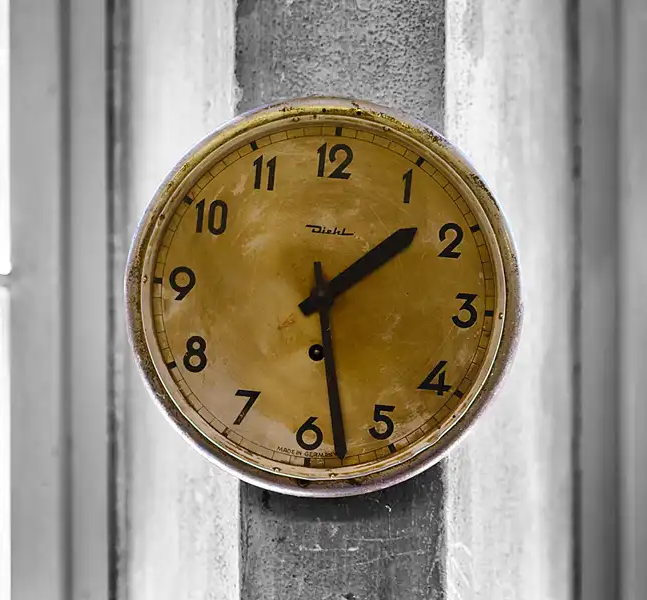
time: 1:28
